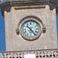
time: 6:23
